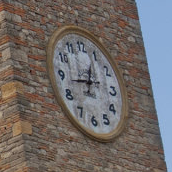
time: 12:43
